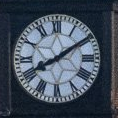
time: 8:09
